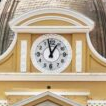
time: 12:57
